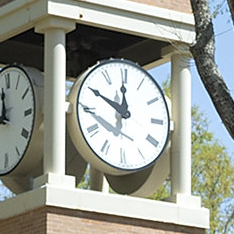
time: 11:49
